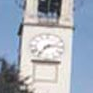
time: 7:13
